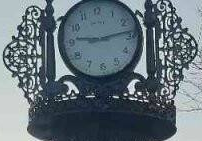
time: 9:13
